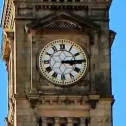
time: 3:14
